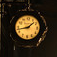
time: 1:42
